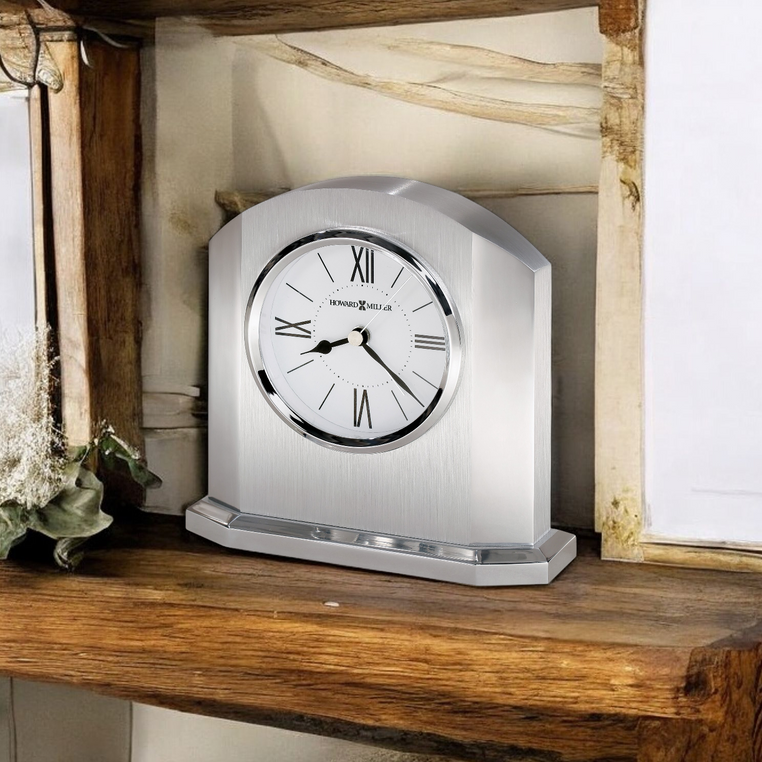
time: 8:21
